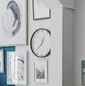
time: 12:36
